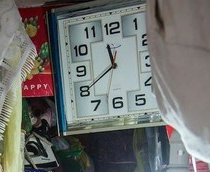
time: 11:39
